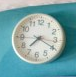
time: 7:19
